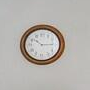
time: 10:14
